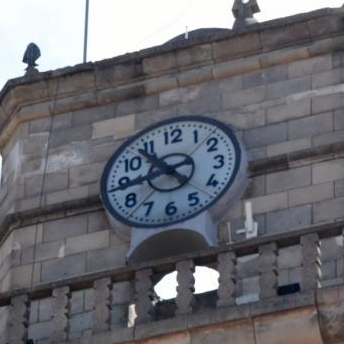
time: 10:43
